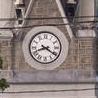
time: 8:20
